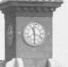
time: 11:29
